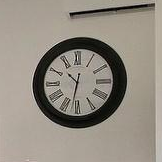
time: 10:32
